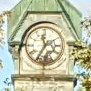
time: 11:35
